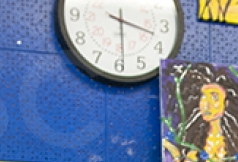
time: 3:29
